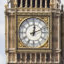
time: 12:11
